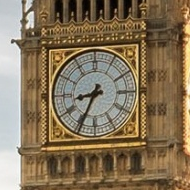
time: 8:34
